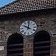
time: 10:00
